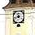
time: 11:42
